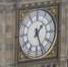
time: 1:26
